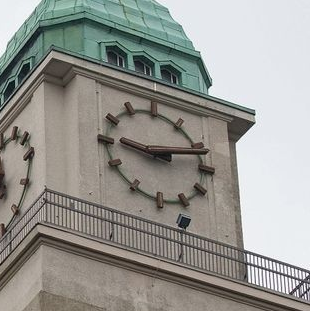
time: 9:12
